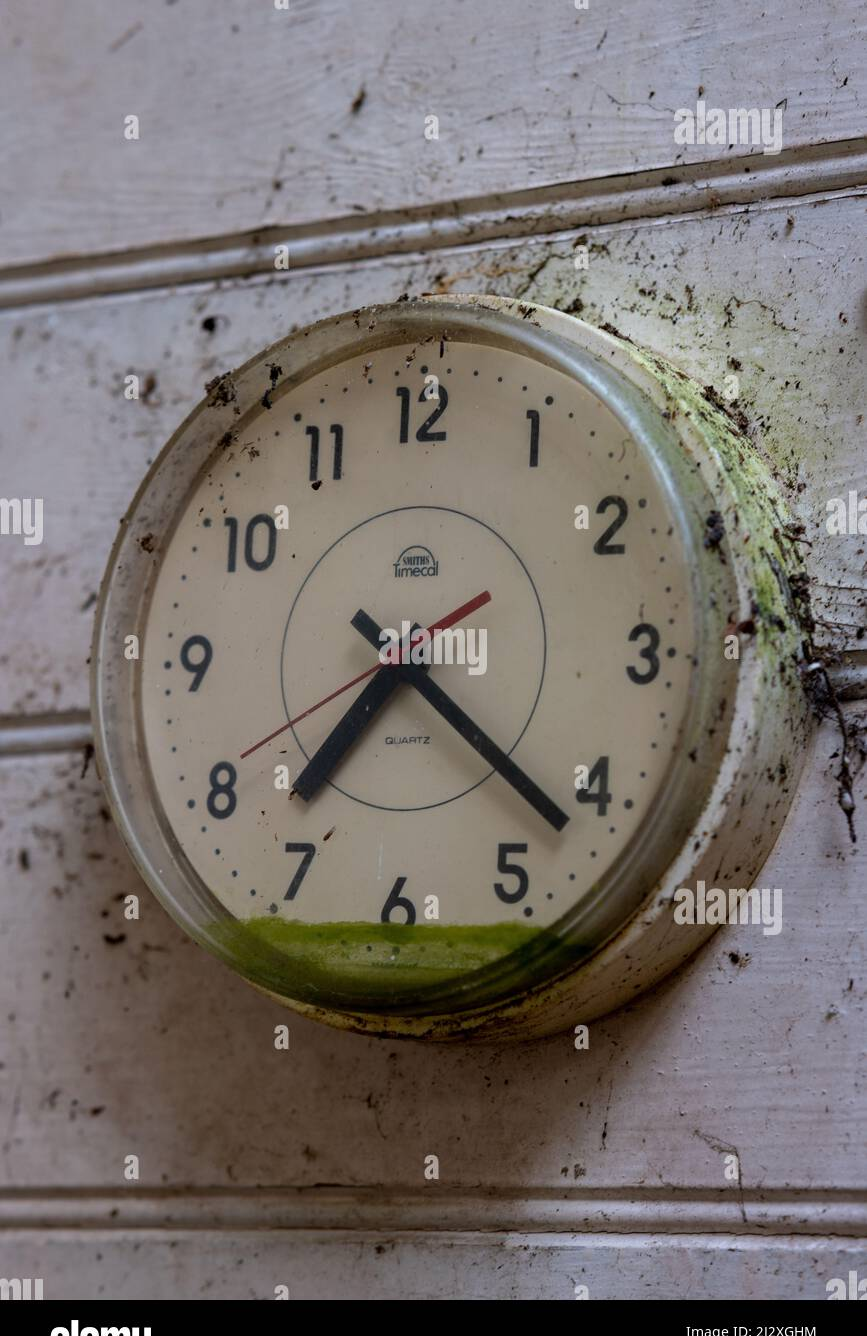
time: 7:21
